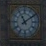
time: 11:09
